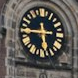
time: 5:44
